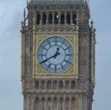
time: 12:40
